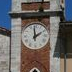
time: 1:59
